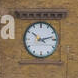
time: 10:12
